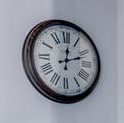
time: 12:11
